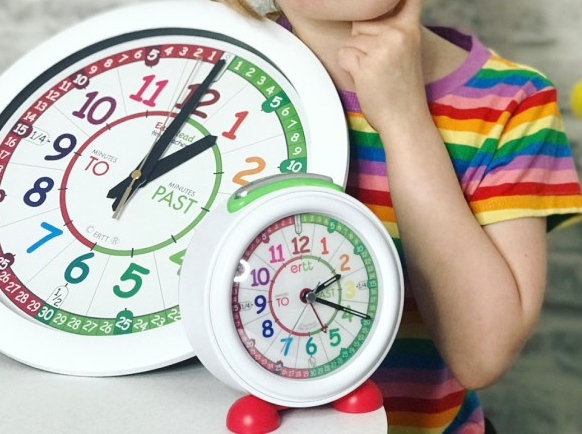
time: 2:19
